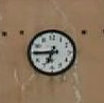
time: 6:45
